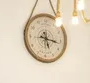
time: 5:16
